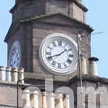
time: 1:41
